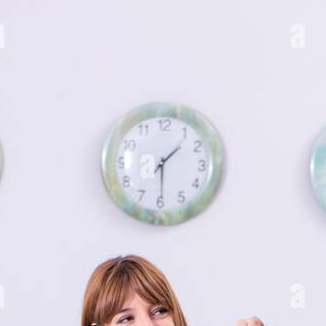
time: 1:29
